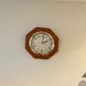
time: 2:01
